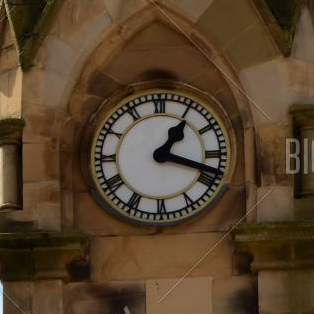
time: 1:18
